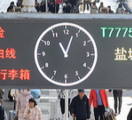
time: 11:03
